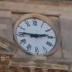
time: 2:46
